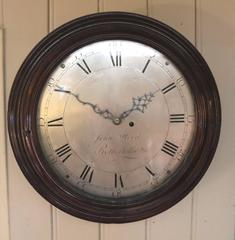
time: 1:50
